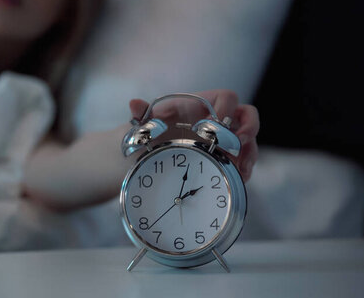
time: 2:02
